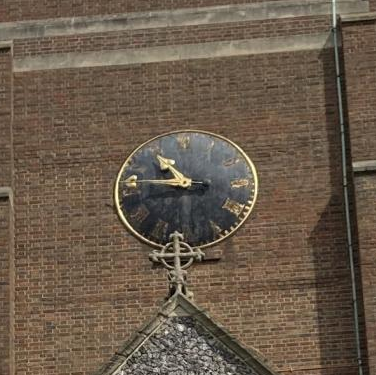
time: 10:45
